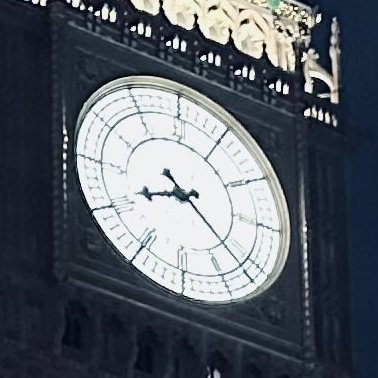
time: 8:21
